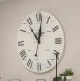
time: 11:01
